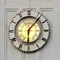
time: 6:06
